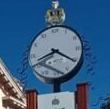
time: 8:20
